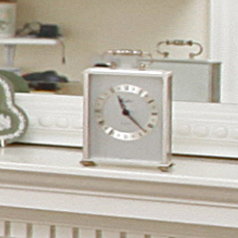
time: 11:22
